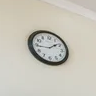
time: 1:44
